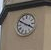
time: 3:50
